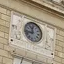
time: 11:42
